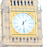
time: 1:29
